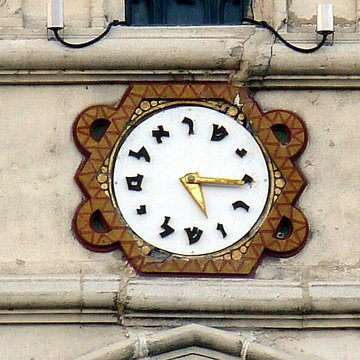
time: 3:15
